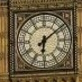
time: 6:08
